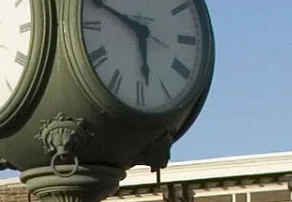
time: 5:49
